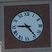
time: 4:45
